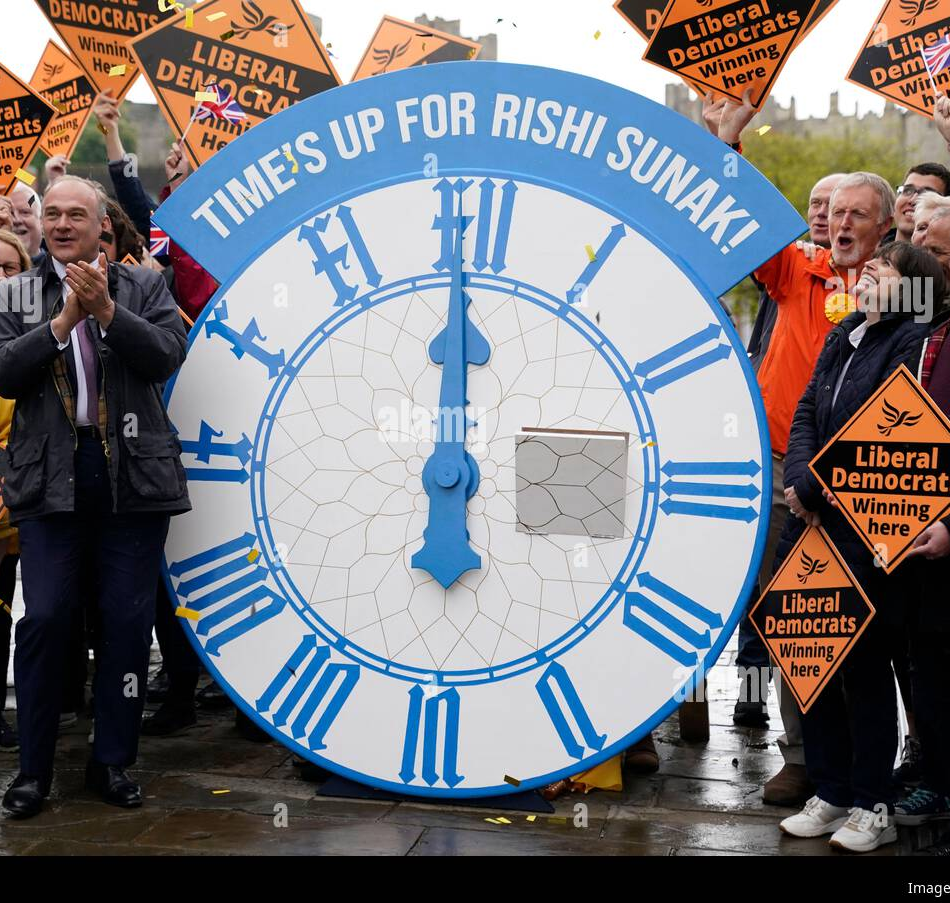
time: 5:59
